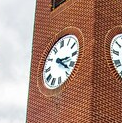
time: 3:22
